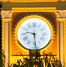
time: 9:28
